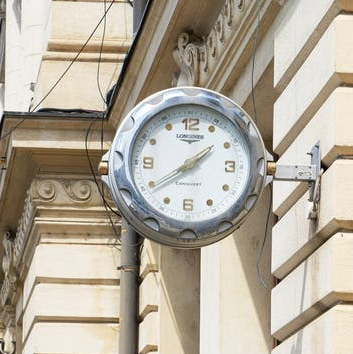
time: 1:39
